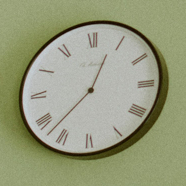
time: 12:37
